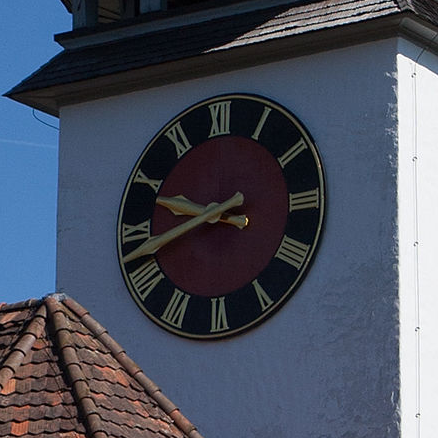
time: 9:42
